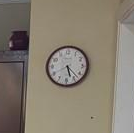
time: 5:22
